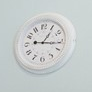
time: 1:16
